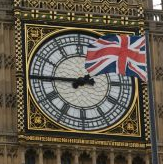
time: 1:45
